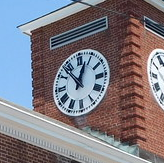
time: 12:53
